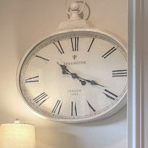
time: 10:18
